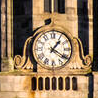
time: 1:20
